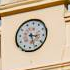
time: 3:26
